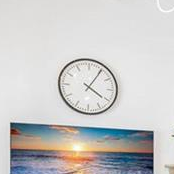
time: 4:05
